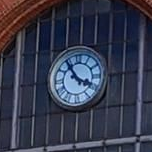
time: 3:54
